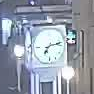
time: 7:12
